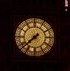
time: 7:37
